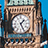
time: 1:26
